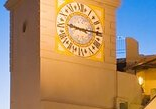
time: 9:15
